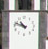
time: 10:48
